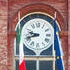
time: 9:42
